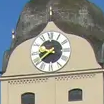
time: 8:38
